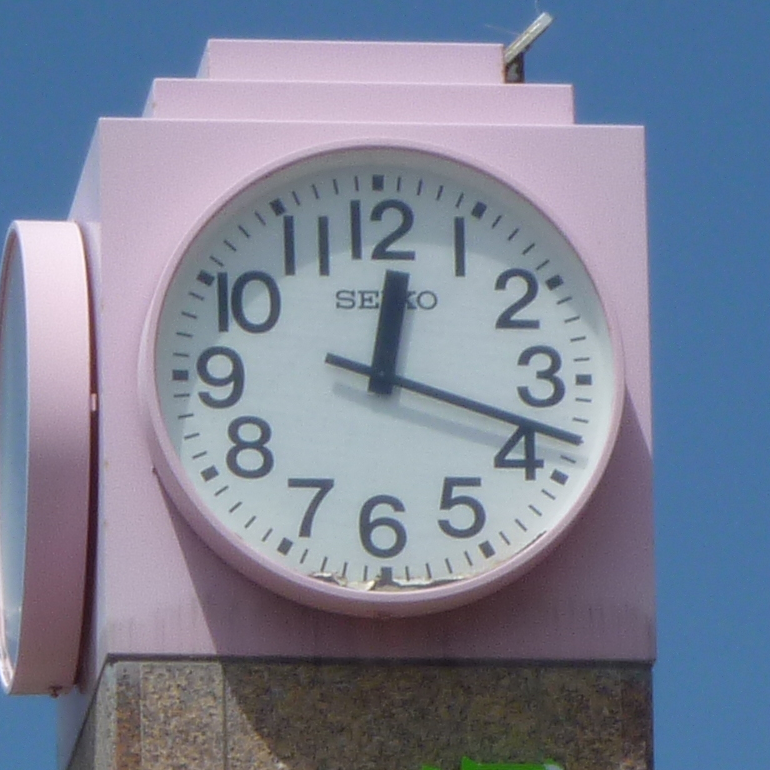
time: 12:18
